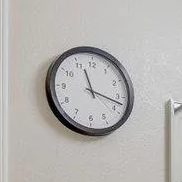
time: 11:17
